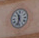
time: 11:32
